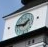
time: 1:46
